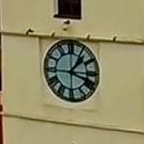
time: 1:18
